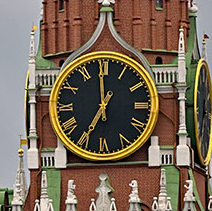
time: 6:59
